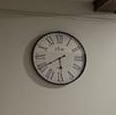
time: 5:40
